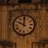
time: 10:00
